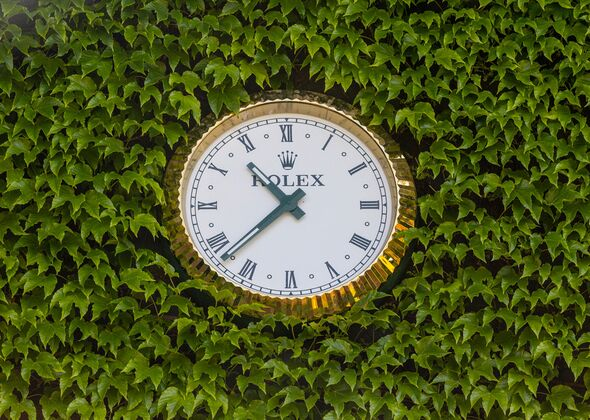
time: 10:37
